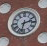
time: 2:32
